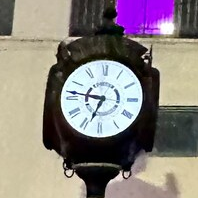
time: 6:46
